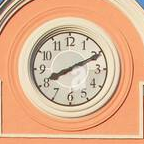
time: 8:10
